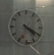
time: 4:19
